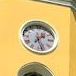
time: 1:26
